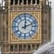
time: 12:11
